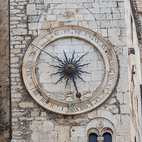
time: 1:26
